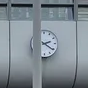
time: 2:20
